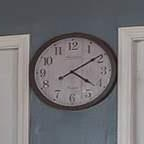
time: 4:09
